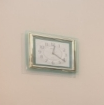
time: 12:21
